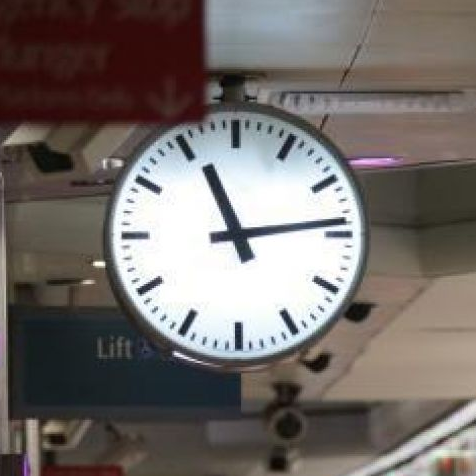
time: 11:13
